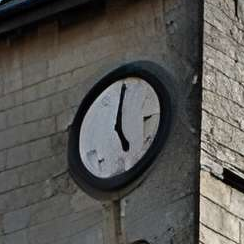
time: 5:00
